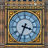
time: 3:33
